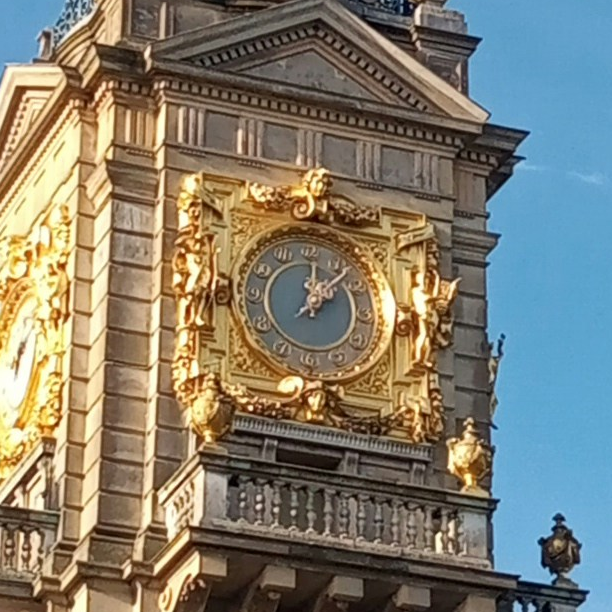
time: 12:07
